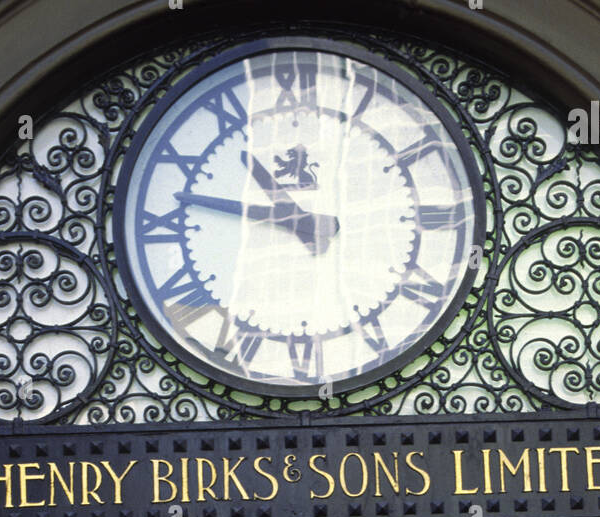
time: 10:47
